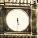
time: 5:30
